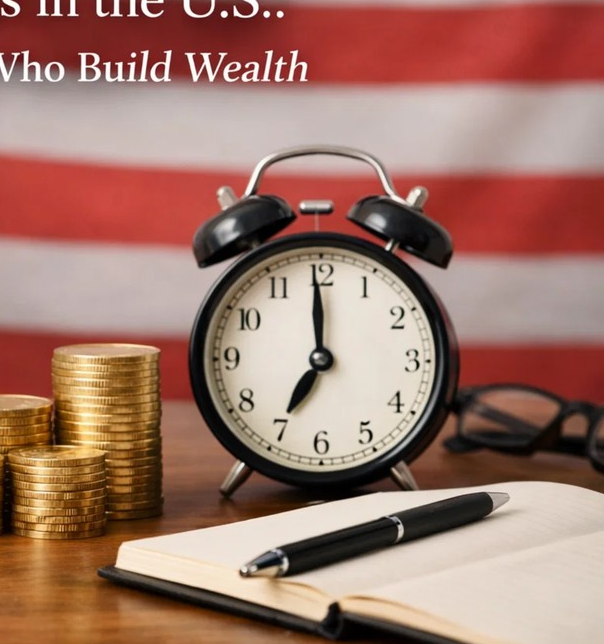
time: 6:59
